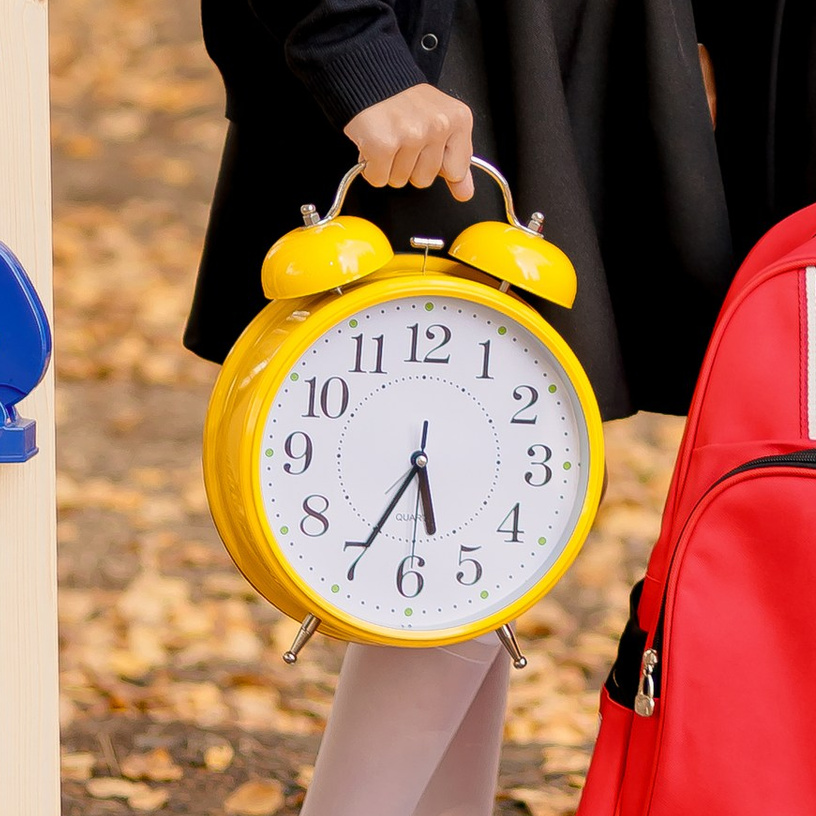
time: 5:34
